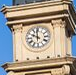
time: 9:59
